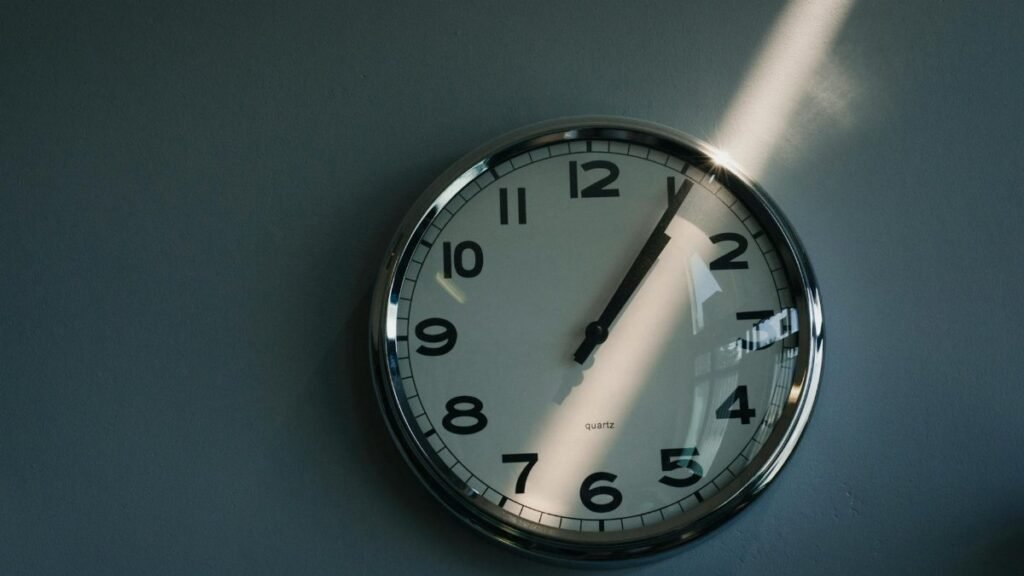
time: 1:05
